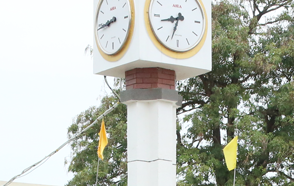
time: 8:33
